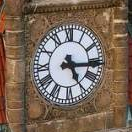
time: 5:15
